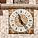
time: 11:23
